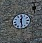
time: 12:28
